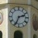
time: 2:34
